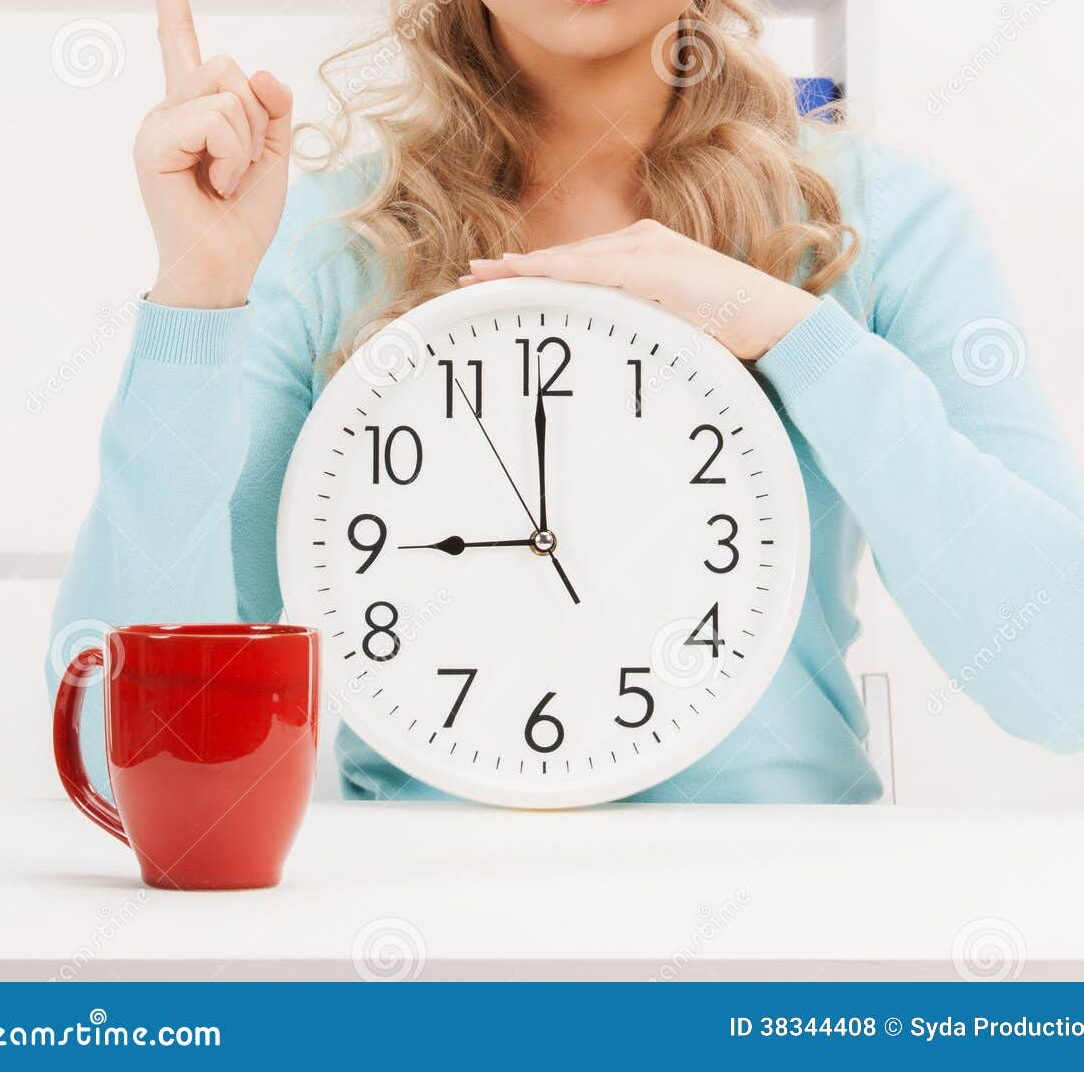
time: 8:59
